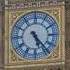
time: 5:23
